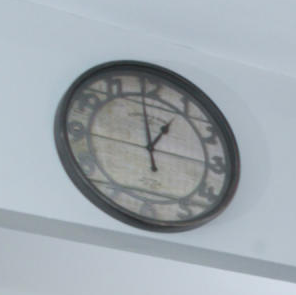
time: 12:59
